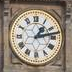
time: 1:12
